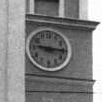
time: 9:15
